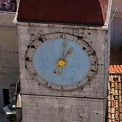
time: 1:02
